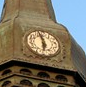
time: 5:57
